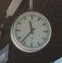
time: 11:36
